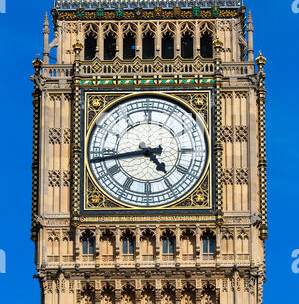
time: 4:43
